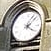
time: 4:07
